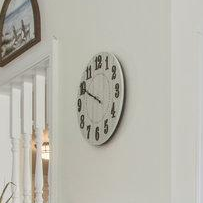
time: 9:49
